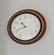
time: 10:41
